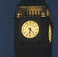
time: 6:22
